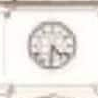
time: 4:31
